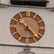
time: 10:22
